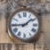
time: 1:44
